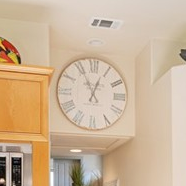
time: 12:55
